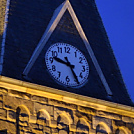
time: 9:25
